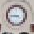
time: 8:45
